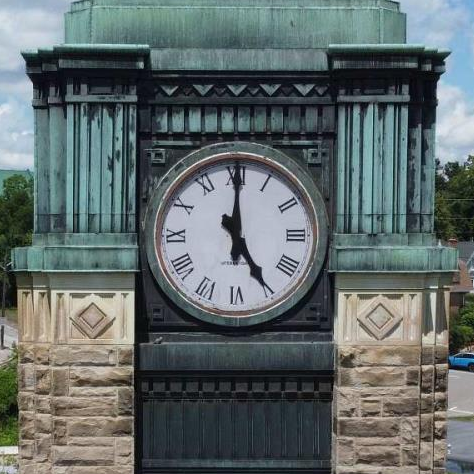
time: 5:00
